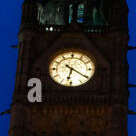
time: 6:20
